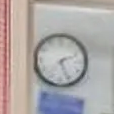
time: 2:26
